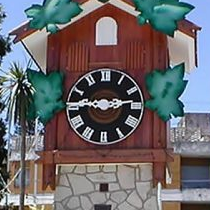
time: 9:13
